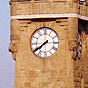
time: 7:39
